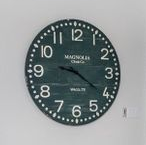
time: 9:20
